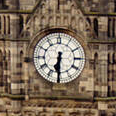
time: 6:30
